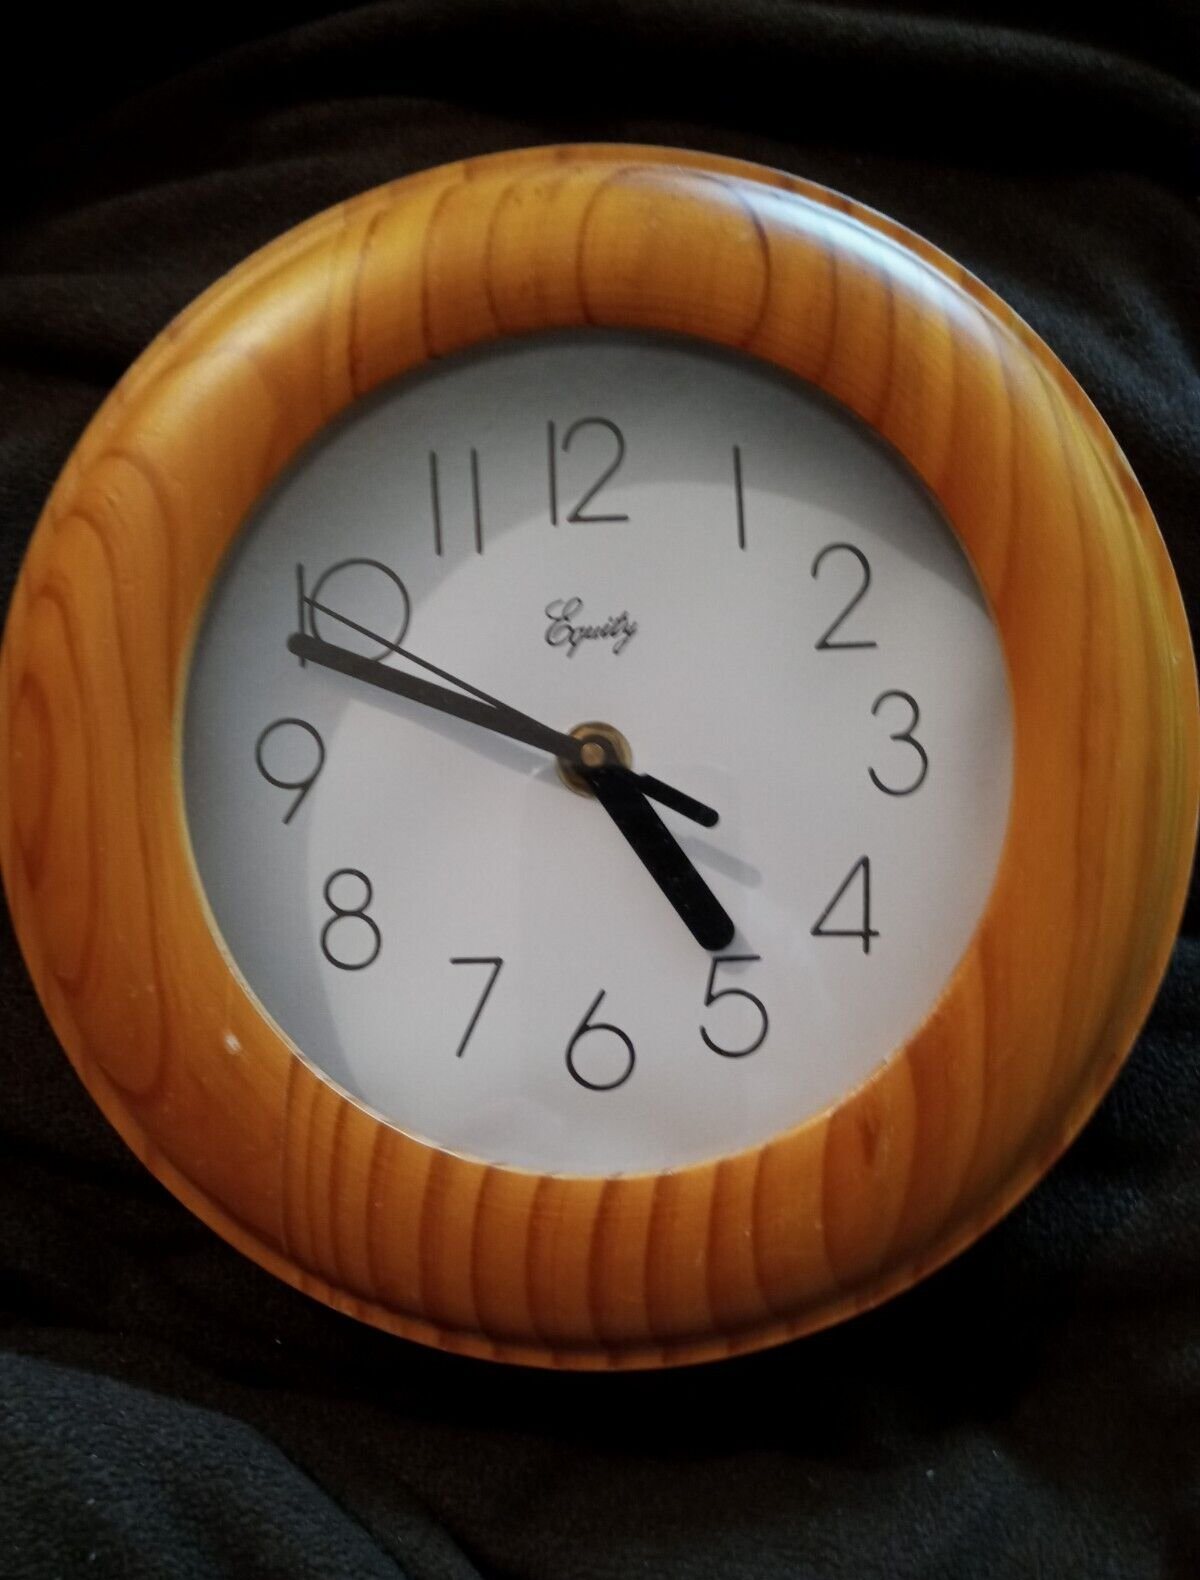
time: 4:48
